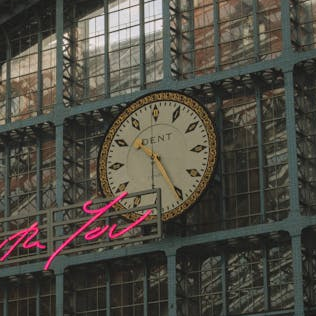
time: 10:25
